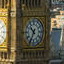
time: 10:34
